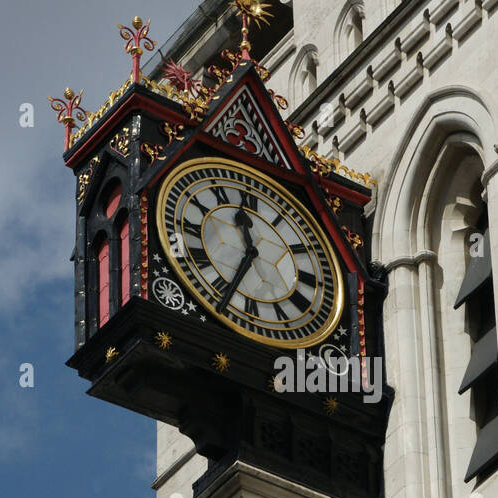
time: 11:34
